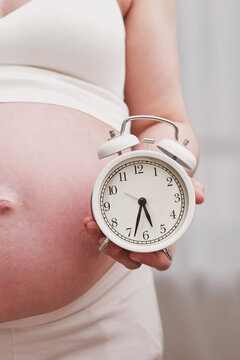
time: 5:33
